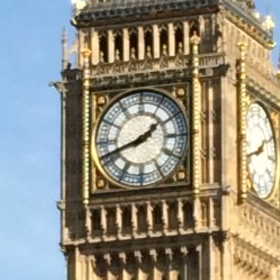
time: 1:41
